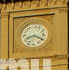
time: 8:19
